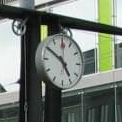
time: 4:50
